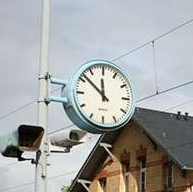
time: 11:51
